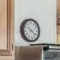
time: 10:21
